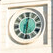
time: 6:00
